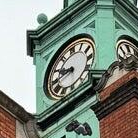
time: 9:42
